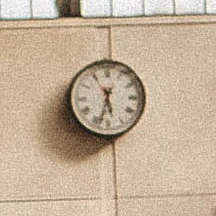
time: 5:33
